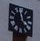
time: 3:58
